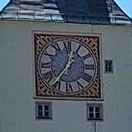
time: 12:36
